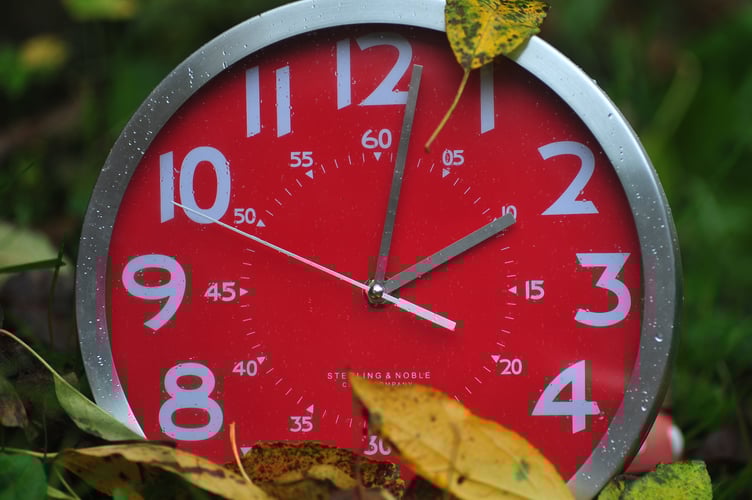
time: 2:01
